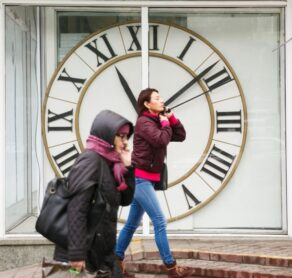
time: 11:08
